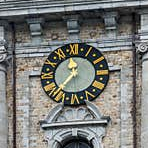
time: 11:36
